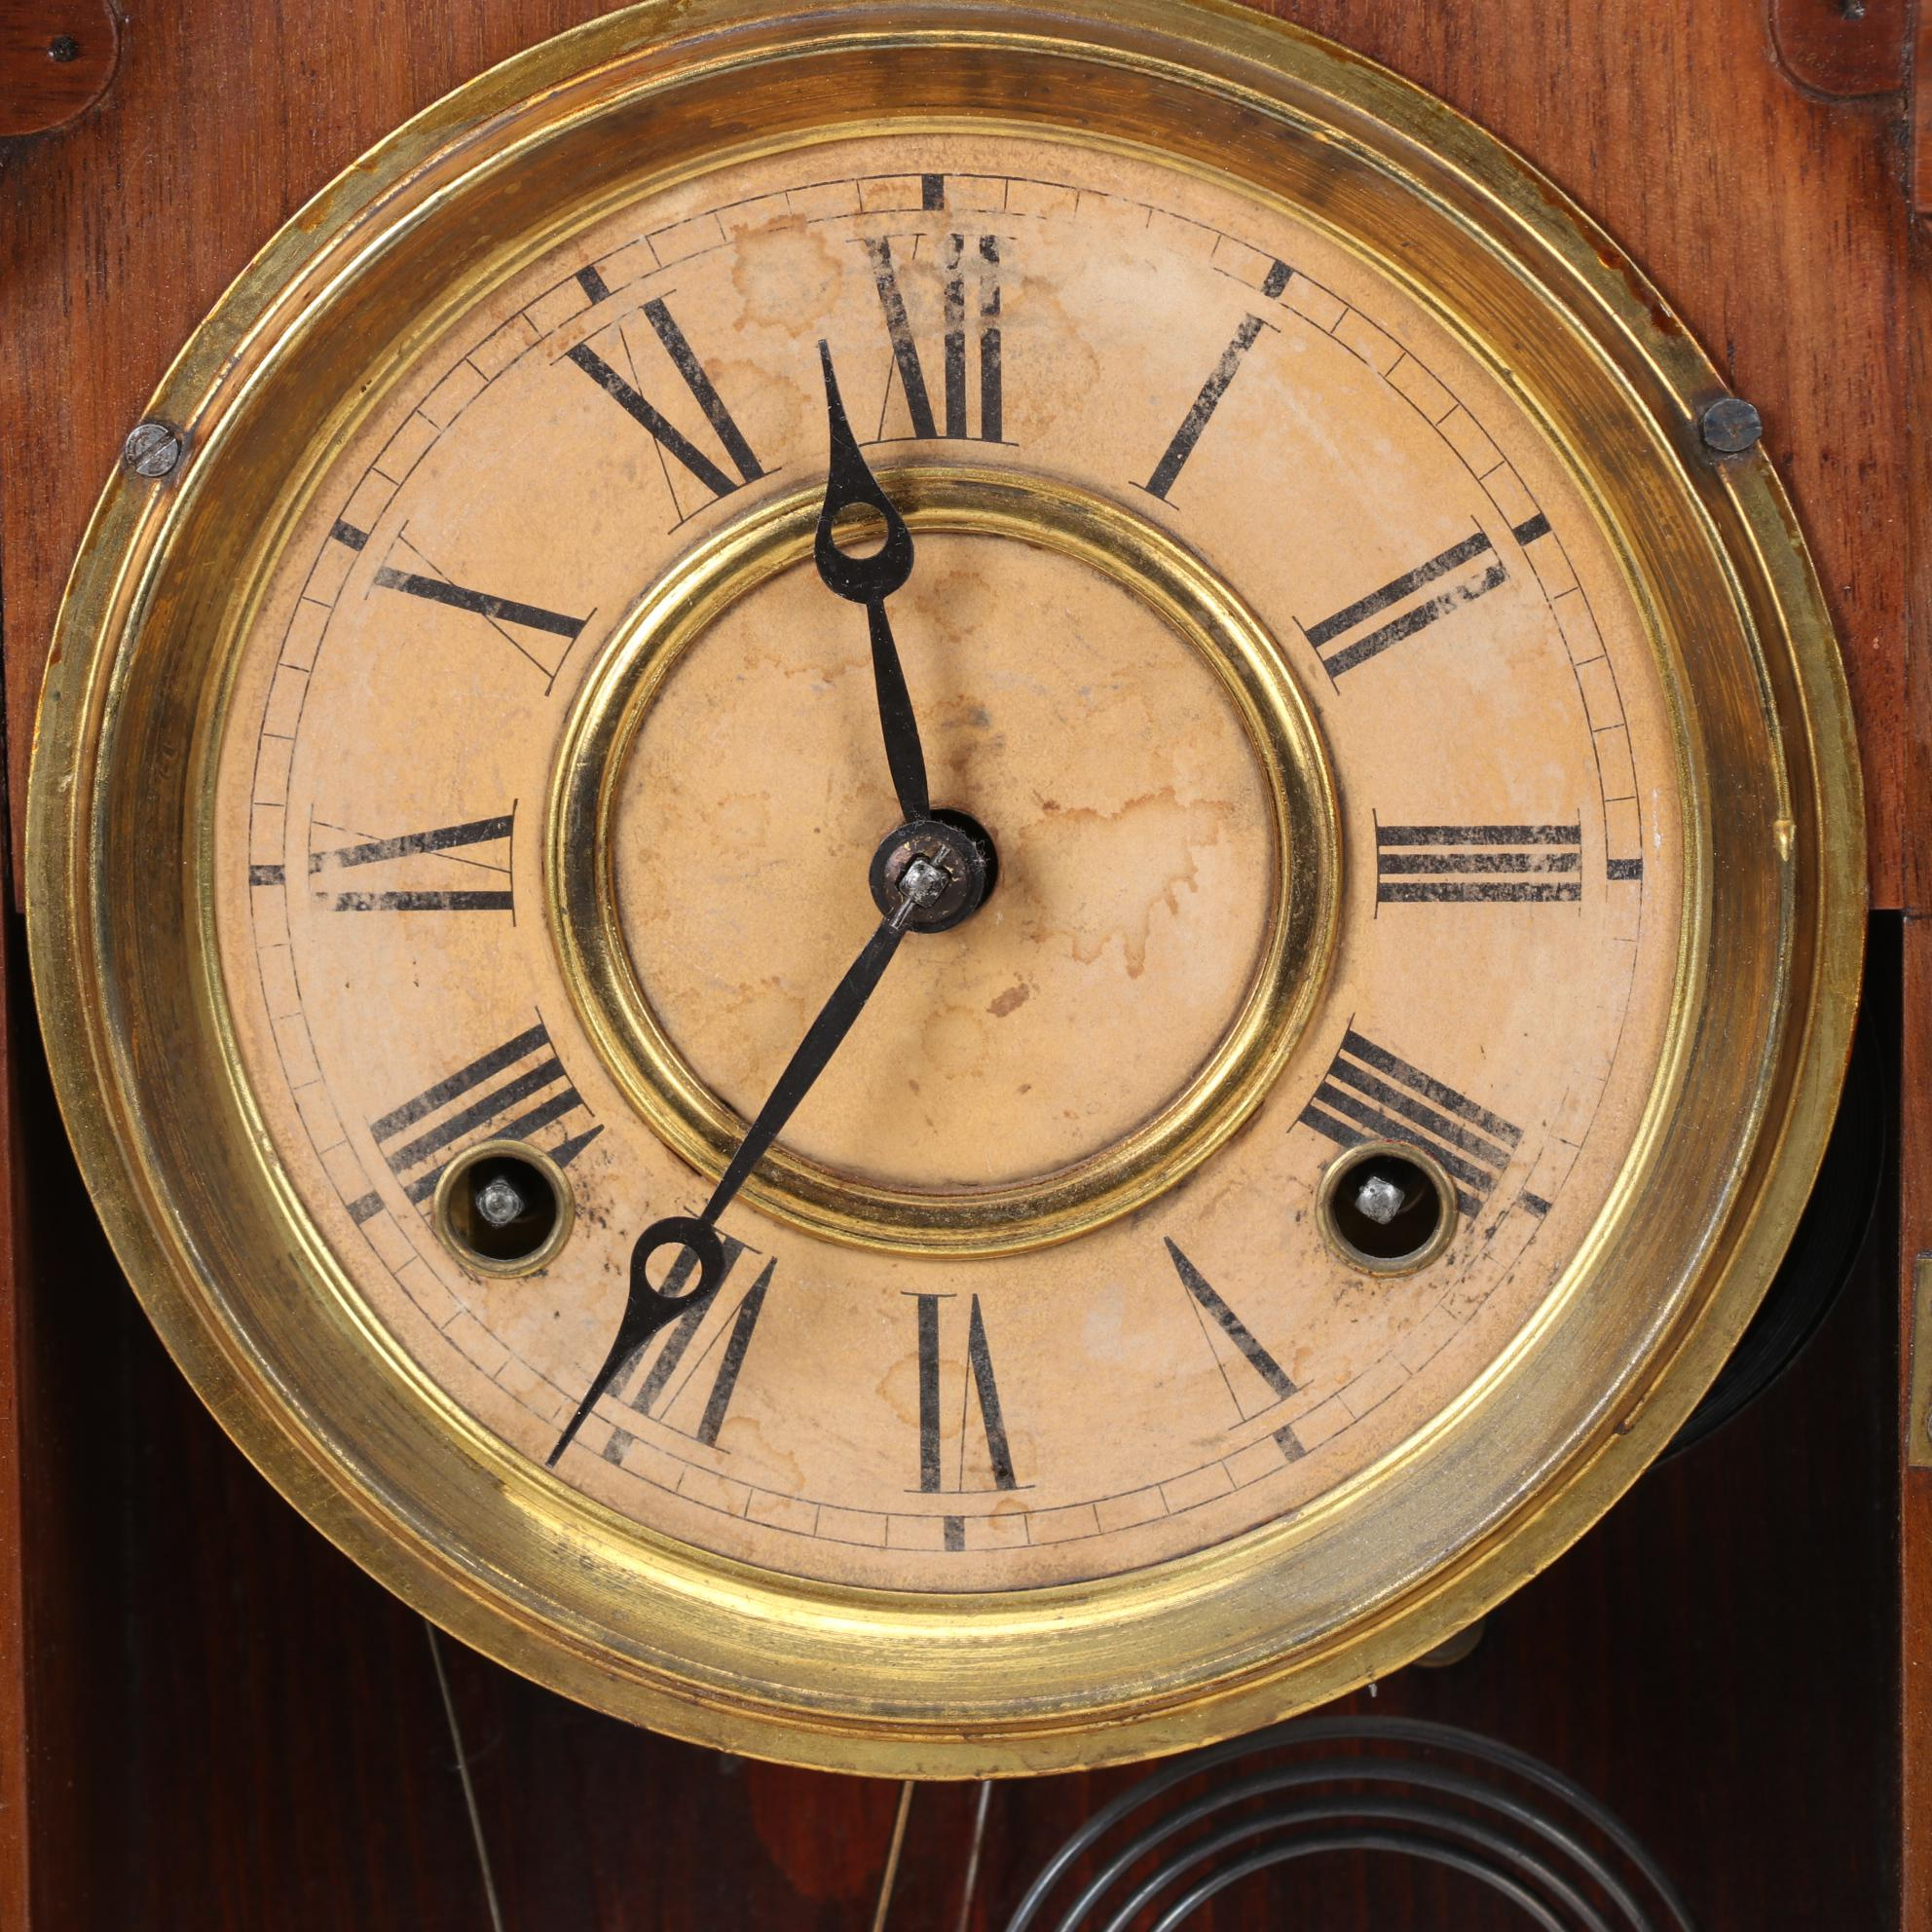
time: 11:35
